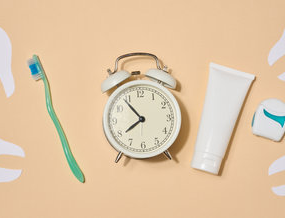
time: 7:53
